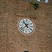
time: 10:38
